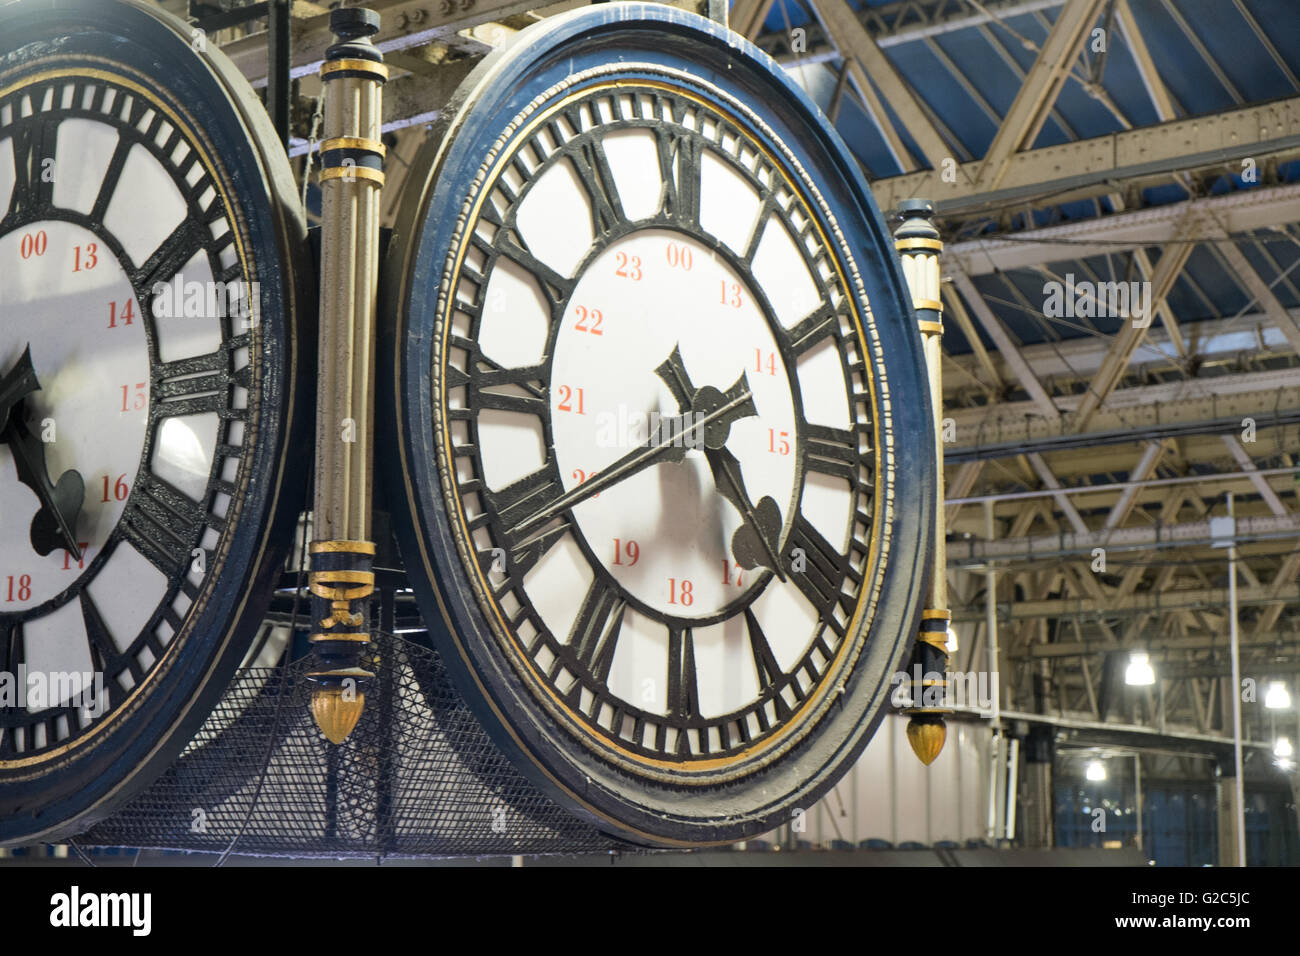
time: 4:40
